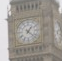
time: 1:21
